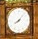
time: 8:07
